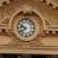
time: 9:38
